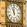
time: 10:59
